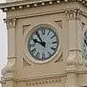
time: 9:54
